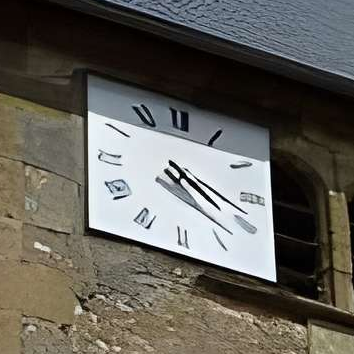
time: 4:18
